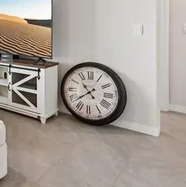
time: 10:38
